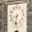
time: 8:32
